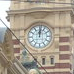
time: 12:01
